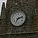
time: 7:12
